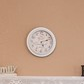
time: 5:11
